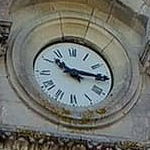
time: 10:14
